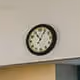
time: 11:05
